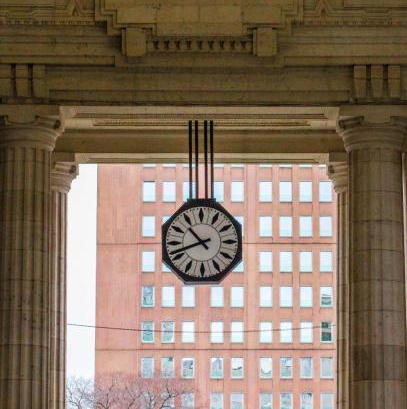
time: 10:41
